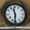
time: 11:31
